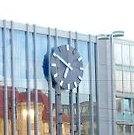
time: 6:50
